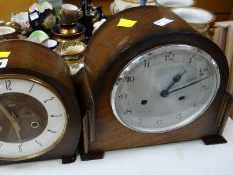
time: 1:11
